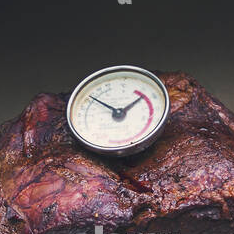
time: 1:51
